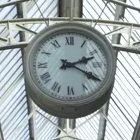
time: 2:20
